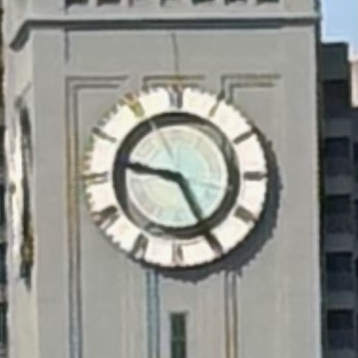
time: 9:25
